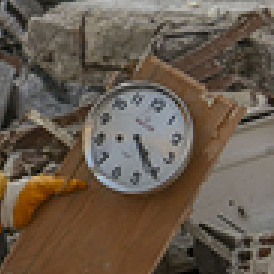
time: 5:25
